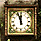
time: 11:56
